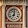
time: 7:00
